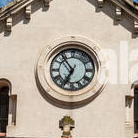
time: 6:53
